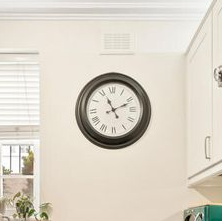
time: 11:11
